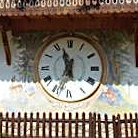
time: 11:33
